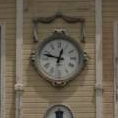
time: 12:47
